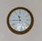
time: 11:44
